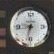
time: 8:32
